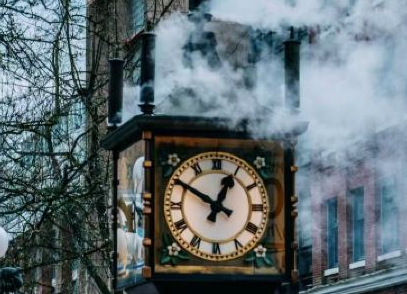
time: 12:50
